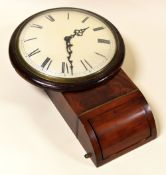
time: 1:28
